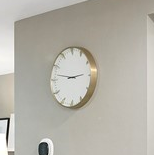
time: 2:46
